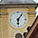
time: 6:06
